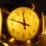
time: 11:48
